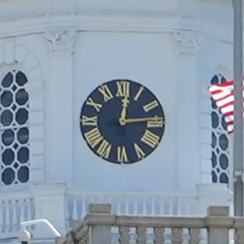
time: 12:13
